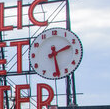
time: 2:28
